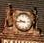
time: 9:45
